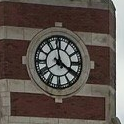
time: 3:58
